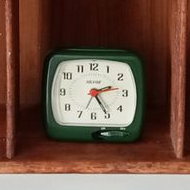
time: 2:24
